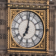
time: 7:01
